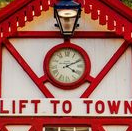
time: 4:10
